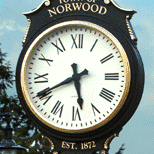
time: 5:40
